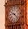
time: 9:22
